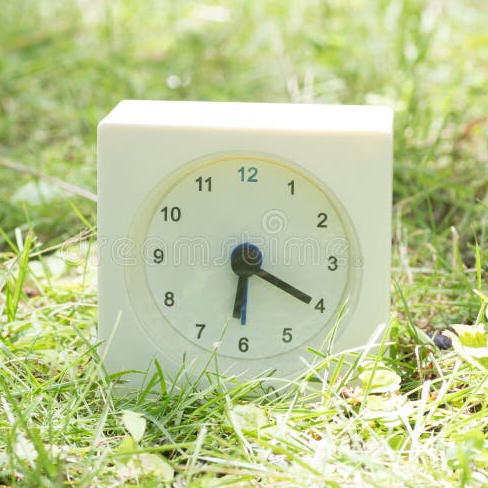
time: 6:19
